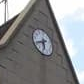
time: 5:40
